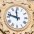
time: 11:47
